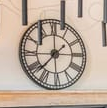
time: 1:37
